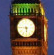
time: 5:45
